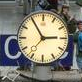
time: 2:54
